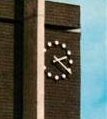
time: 2:21
